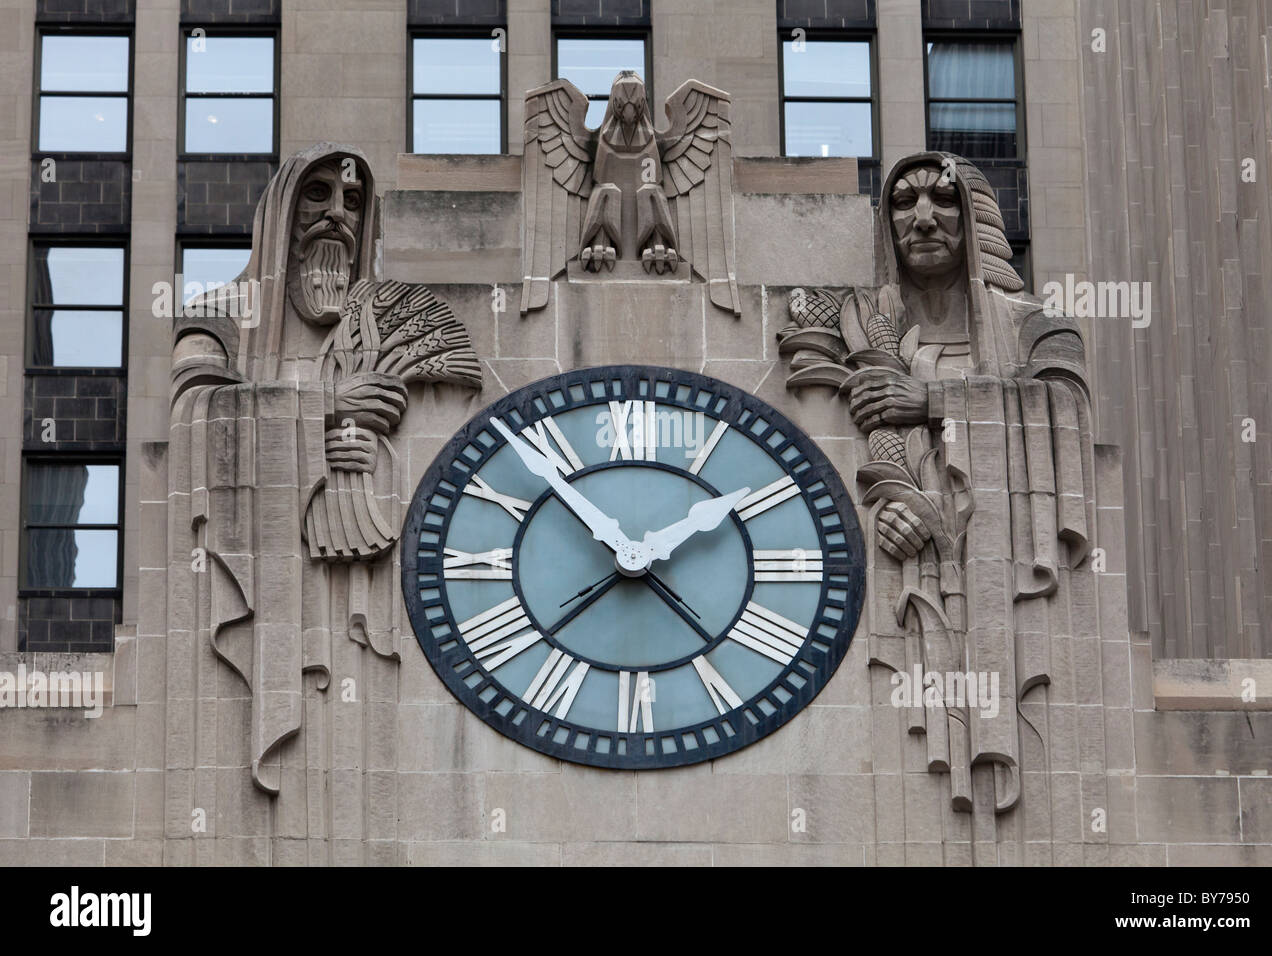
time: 1:53
